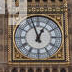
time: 12:57
